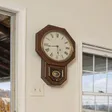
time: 5:43
